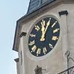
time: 12:05
